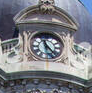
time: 11:22
